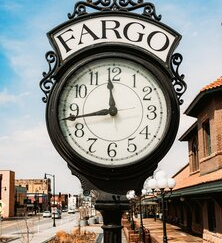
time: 11:43
